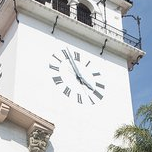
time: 3:55
